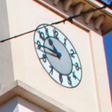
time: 10:45
